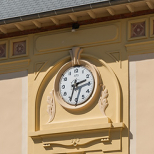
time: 2:33
